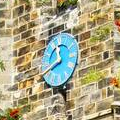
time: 11:40
